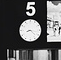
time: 8:17
